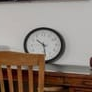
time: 10:28
